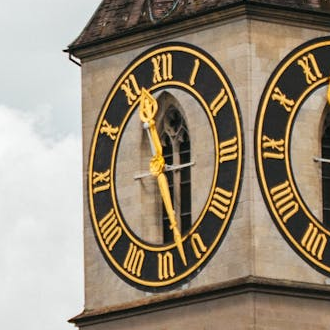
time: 11:28
